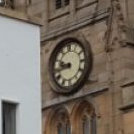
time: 9:43
